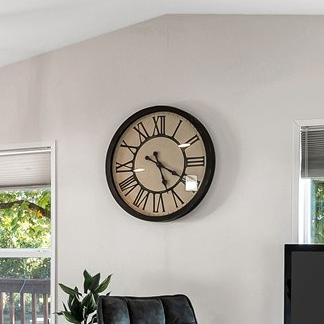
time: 5:19
